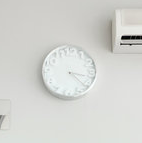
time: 3:21
